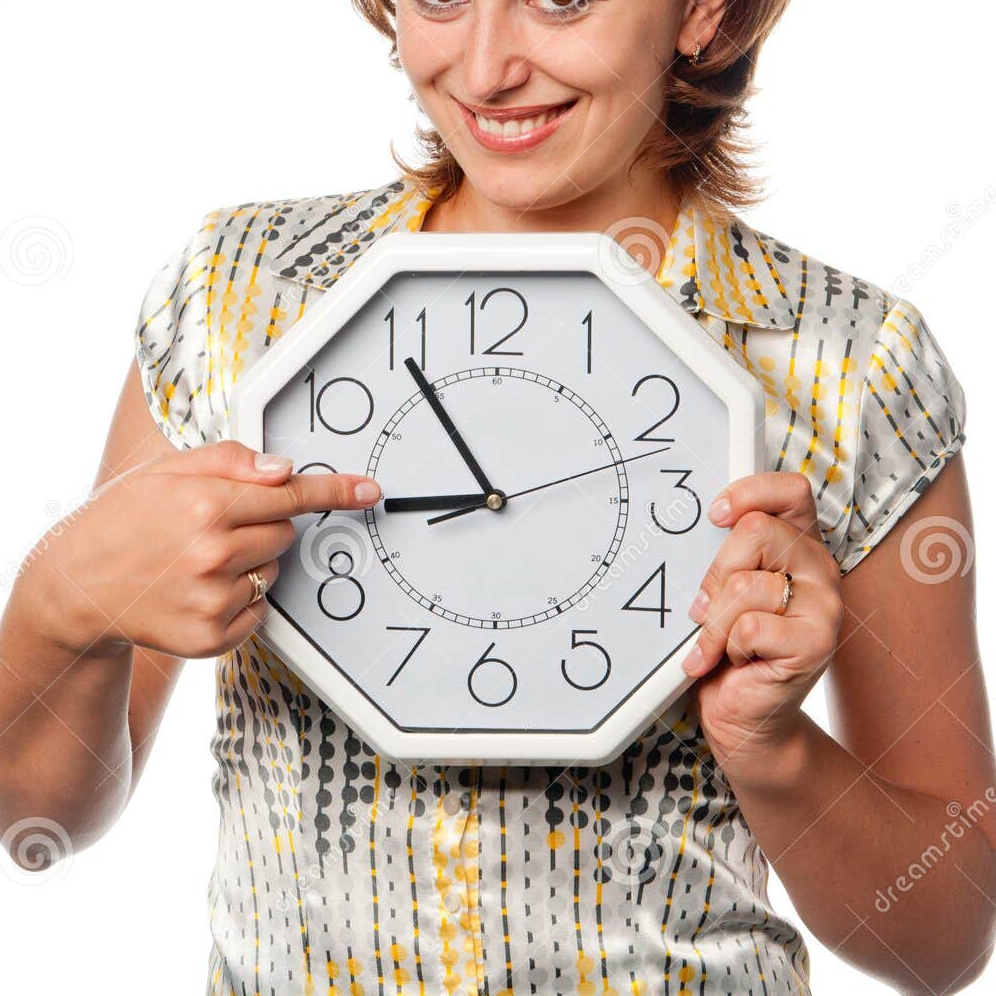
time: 8:54
